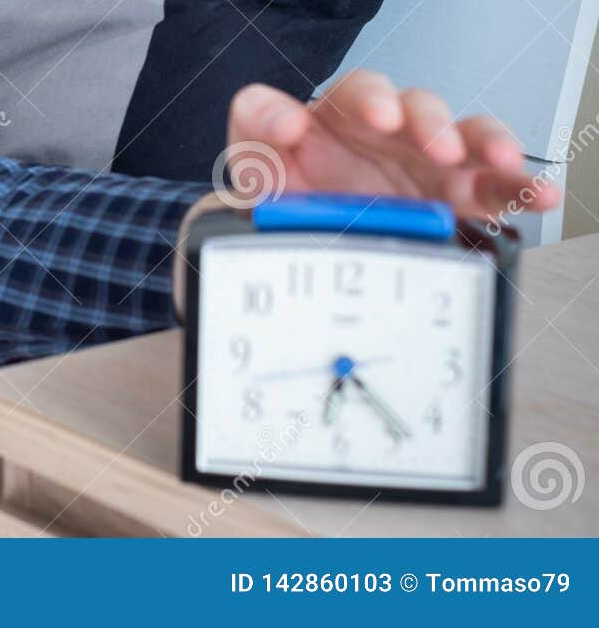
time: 6:23
